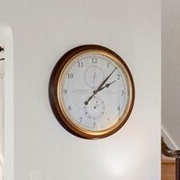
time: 2:07
